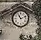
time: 11:11
